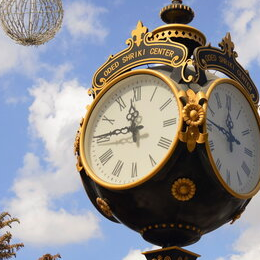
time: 11:45
